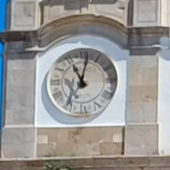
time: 11:01
